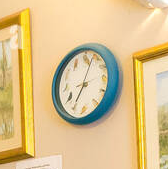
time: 7:03
